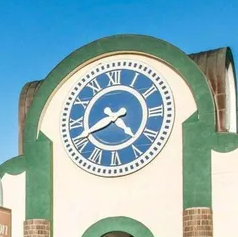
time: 4:41
